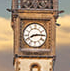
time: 8:14
